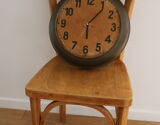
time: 6:06
